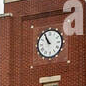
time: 10:55
